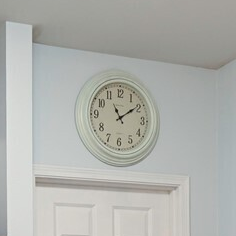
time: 11:09
